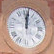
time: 12:01
